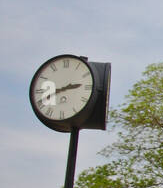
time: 2:41
